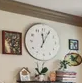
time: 12:04
